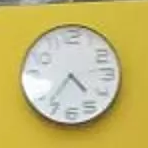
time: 4:36
